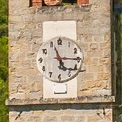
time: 5:15
